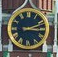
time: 3:11
